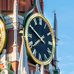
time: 7:49
